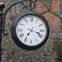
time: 7:17
